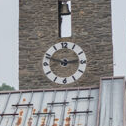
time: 2:48
